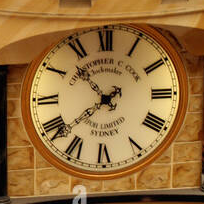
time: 10:38
